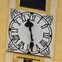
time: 11:28
